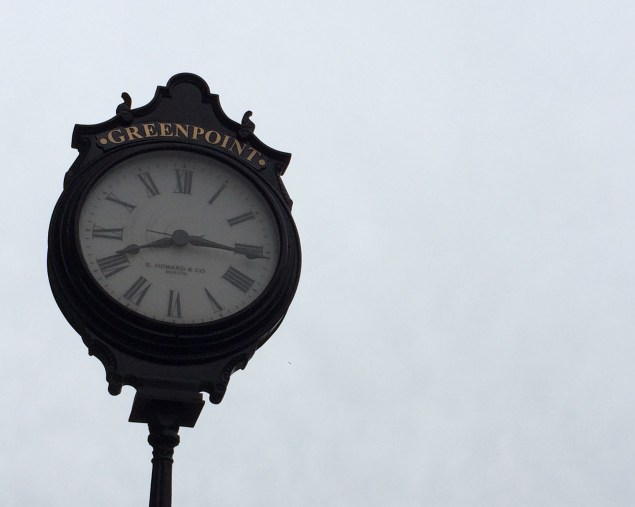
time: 8:15
